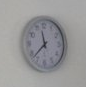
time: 11:37
